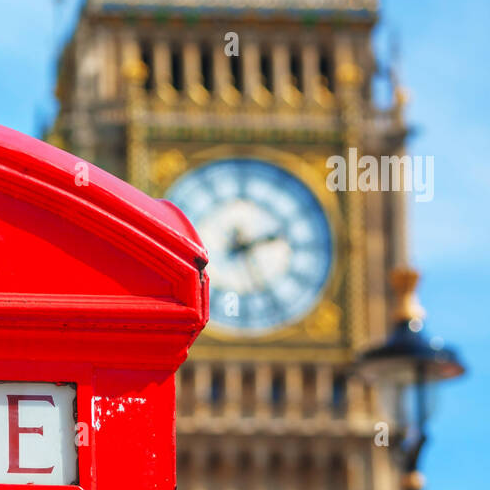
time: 2:25
